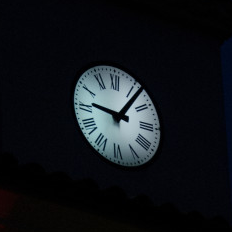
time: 9:06
